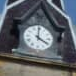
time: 4:00
